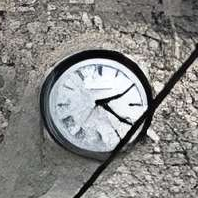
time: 2:21
